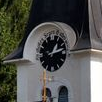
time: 1:12
